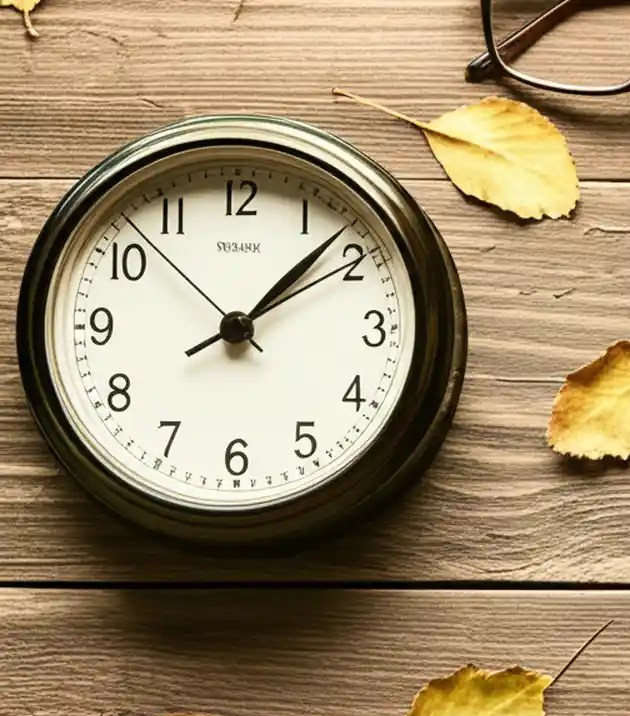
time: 1:07
